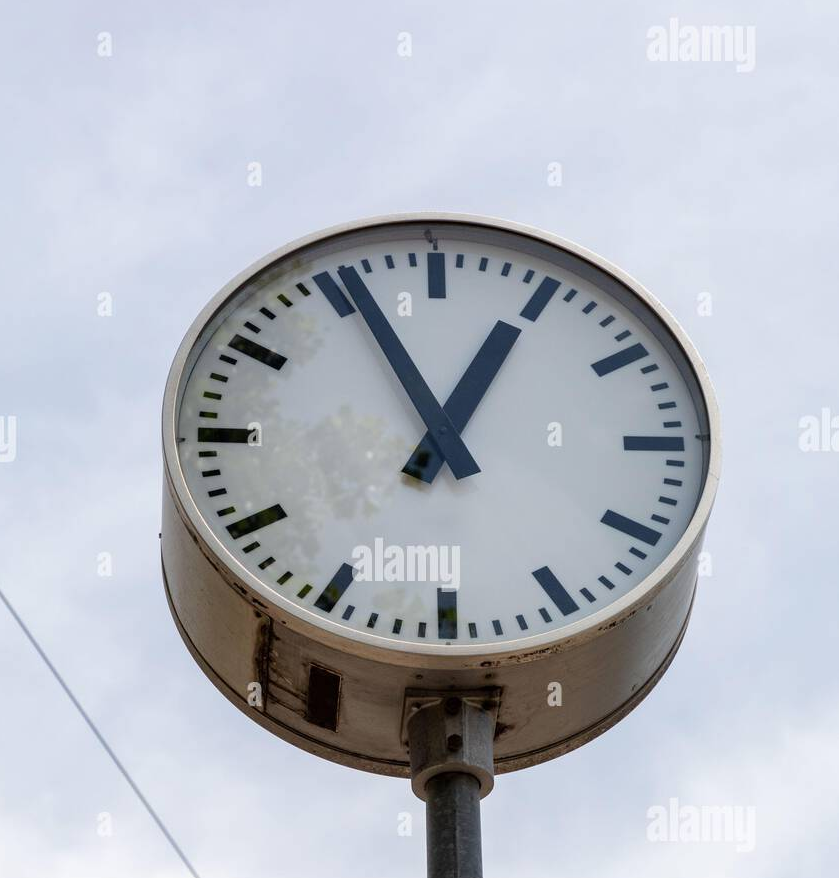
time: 12:55
